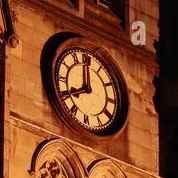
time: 7:59
